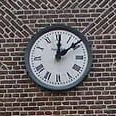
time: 12:08
